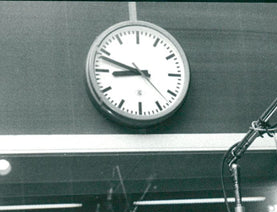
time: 8:48
